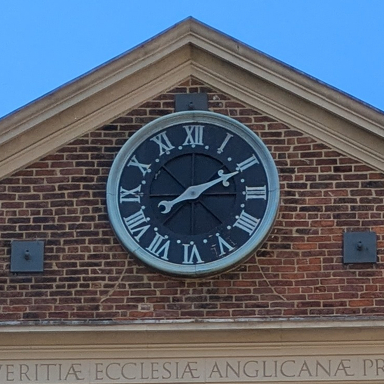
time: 2:10
